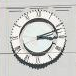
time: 3:11
